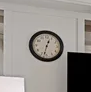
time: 12:32
